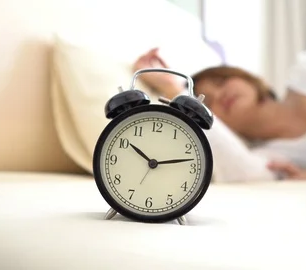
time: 10:13
